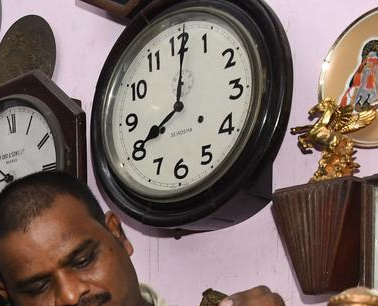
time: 8:01
